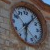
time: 6:06
